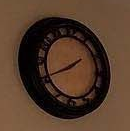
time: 1:41
